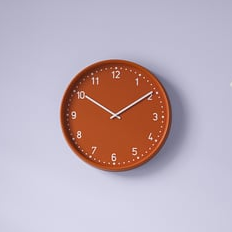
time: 10:09
